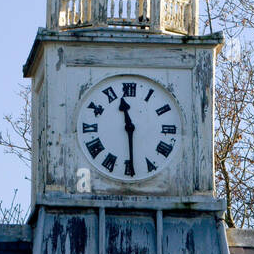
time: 11:29
